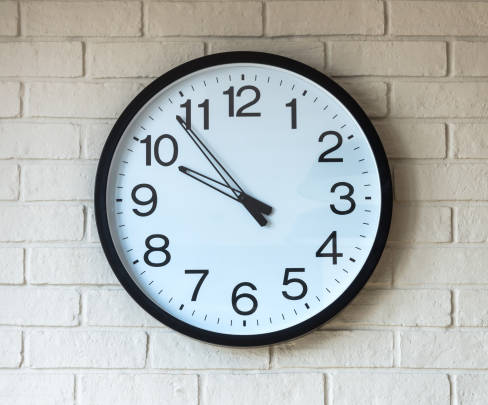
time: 9:53
